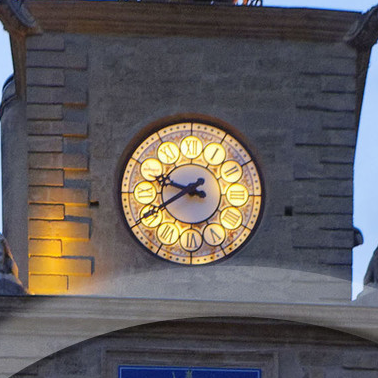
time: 9:39
